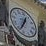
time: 12:34
